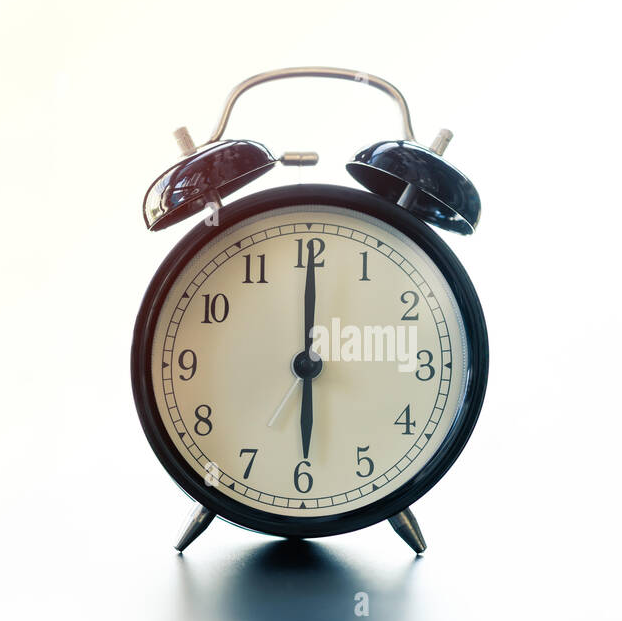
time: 6:00
